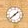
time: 1:38
